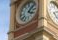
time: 4:07
